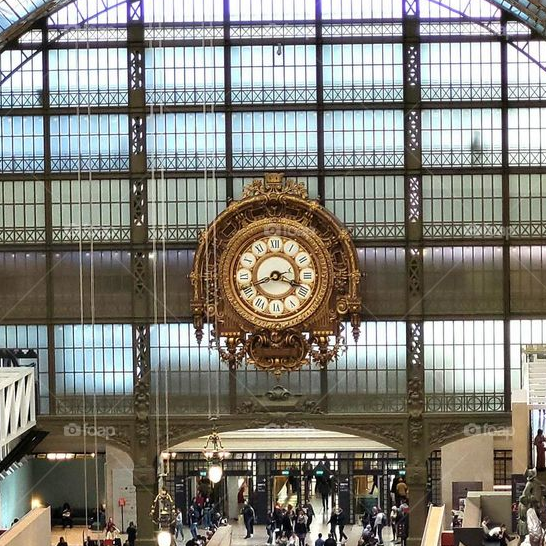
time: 8:18
